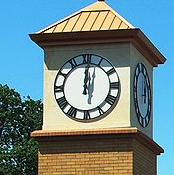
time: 12:00
